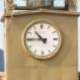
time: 10:45
